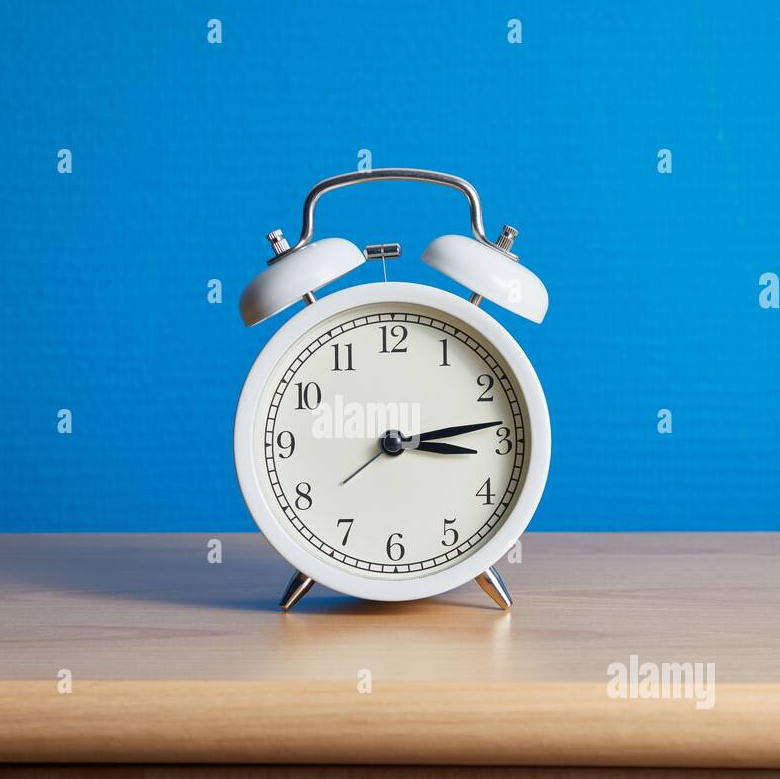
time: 3:13
